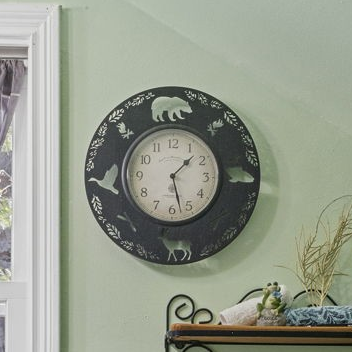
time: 1:27
